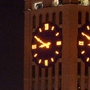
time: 8:50
